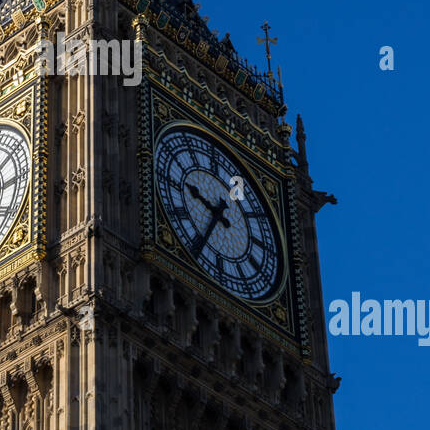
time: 9:36
